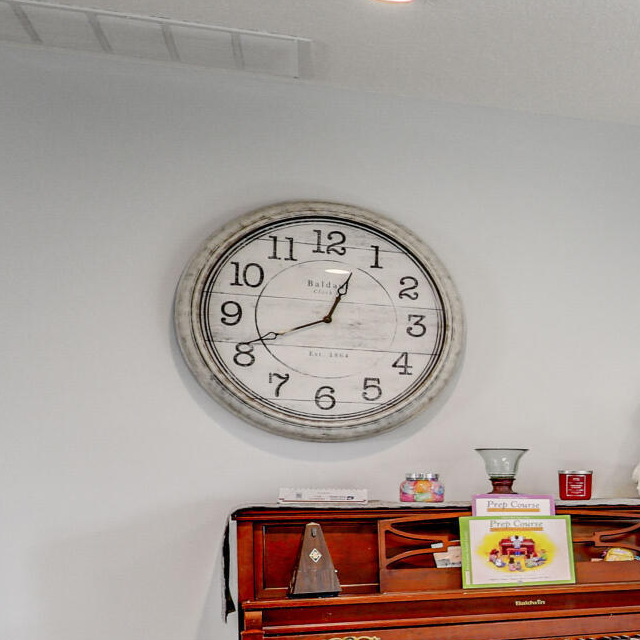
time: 12:41
